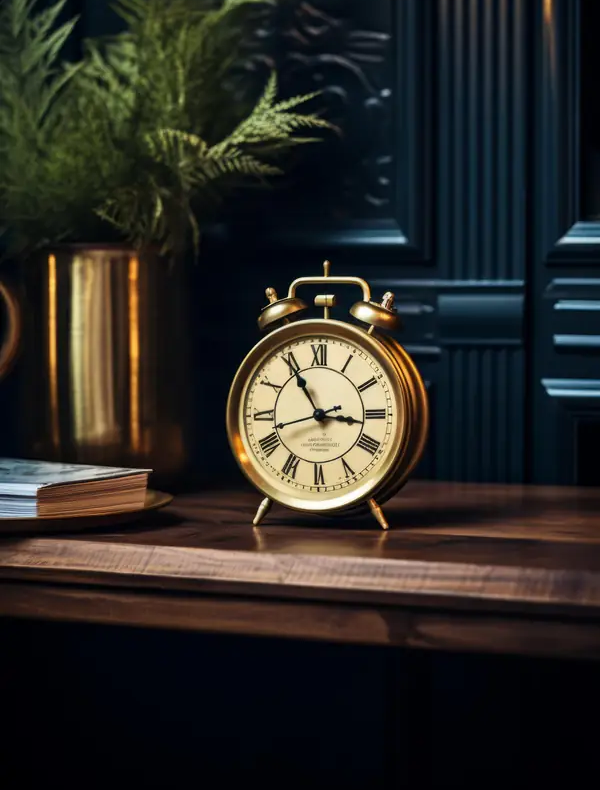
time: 2:54
